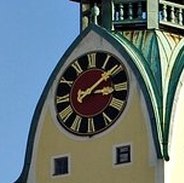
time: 3:08
